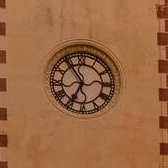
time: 6:54
